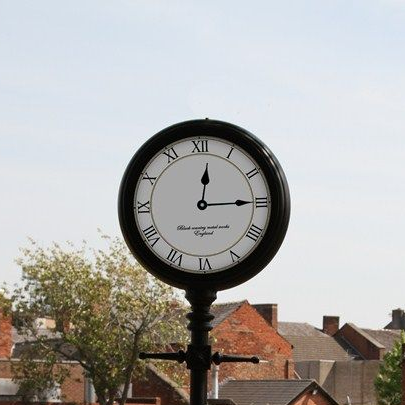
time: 12:14
